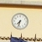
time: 7:32
